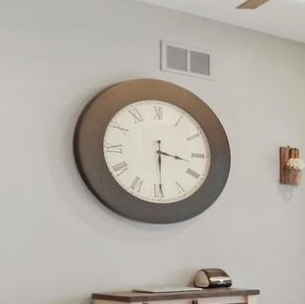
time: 3:29
